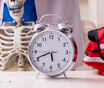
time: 5:41
